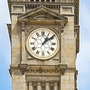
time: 1:08
